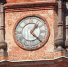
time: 1:22
